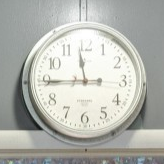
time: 11:44
